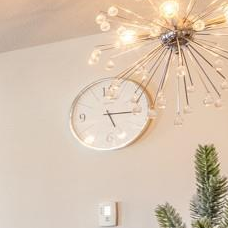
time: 5:14
